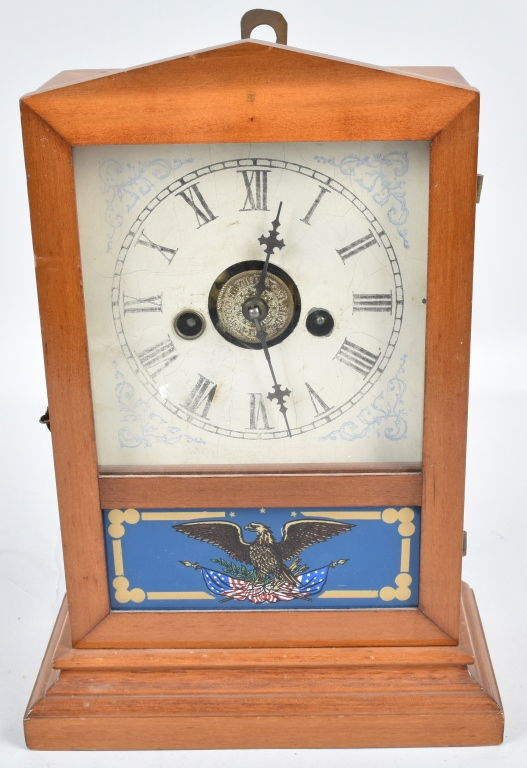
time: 12:27
